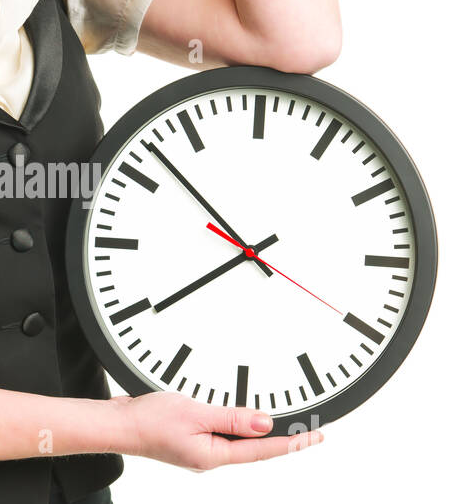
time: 7:52
